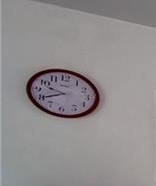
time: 9:40
